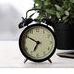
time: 6:50
